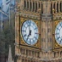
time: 6:58
